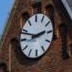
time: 2:48
